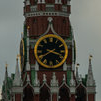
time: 3:40
